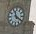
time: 11:20
